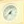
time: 7:37
